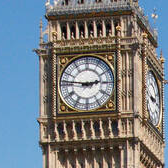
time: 2:46
